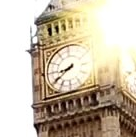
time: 8:39
